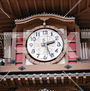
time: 2:26
